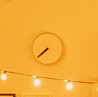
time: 7:38
